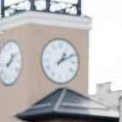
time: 1:10
